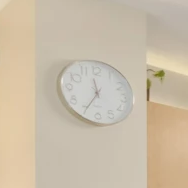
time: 11:34
